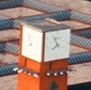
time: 7:55
